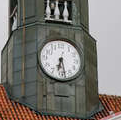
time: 6:28
